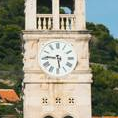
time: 5:45
